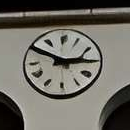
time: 2:50
